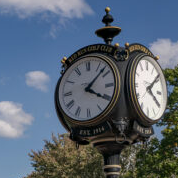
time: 4:07
